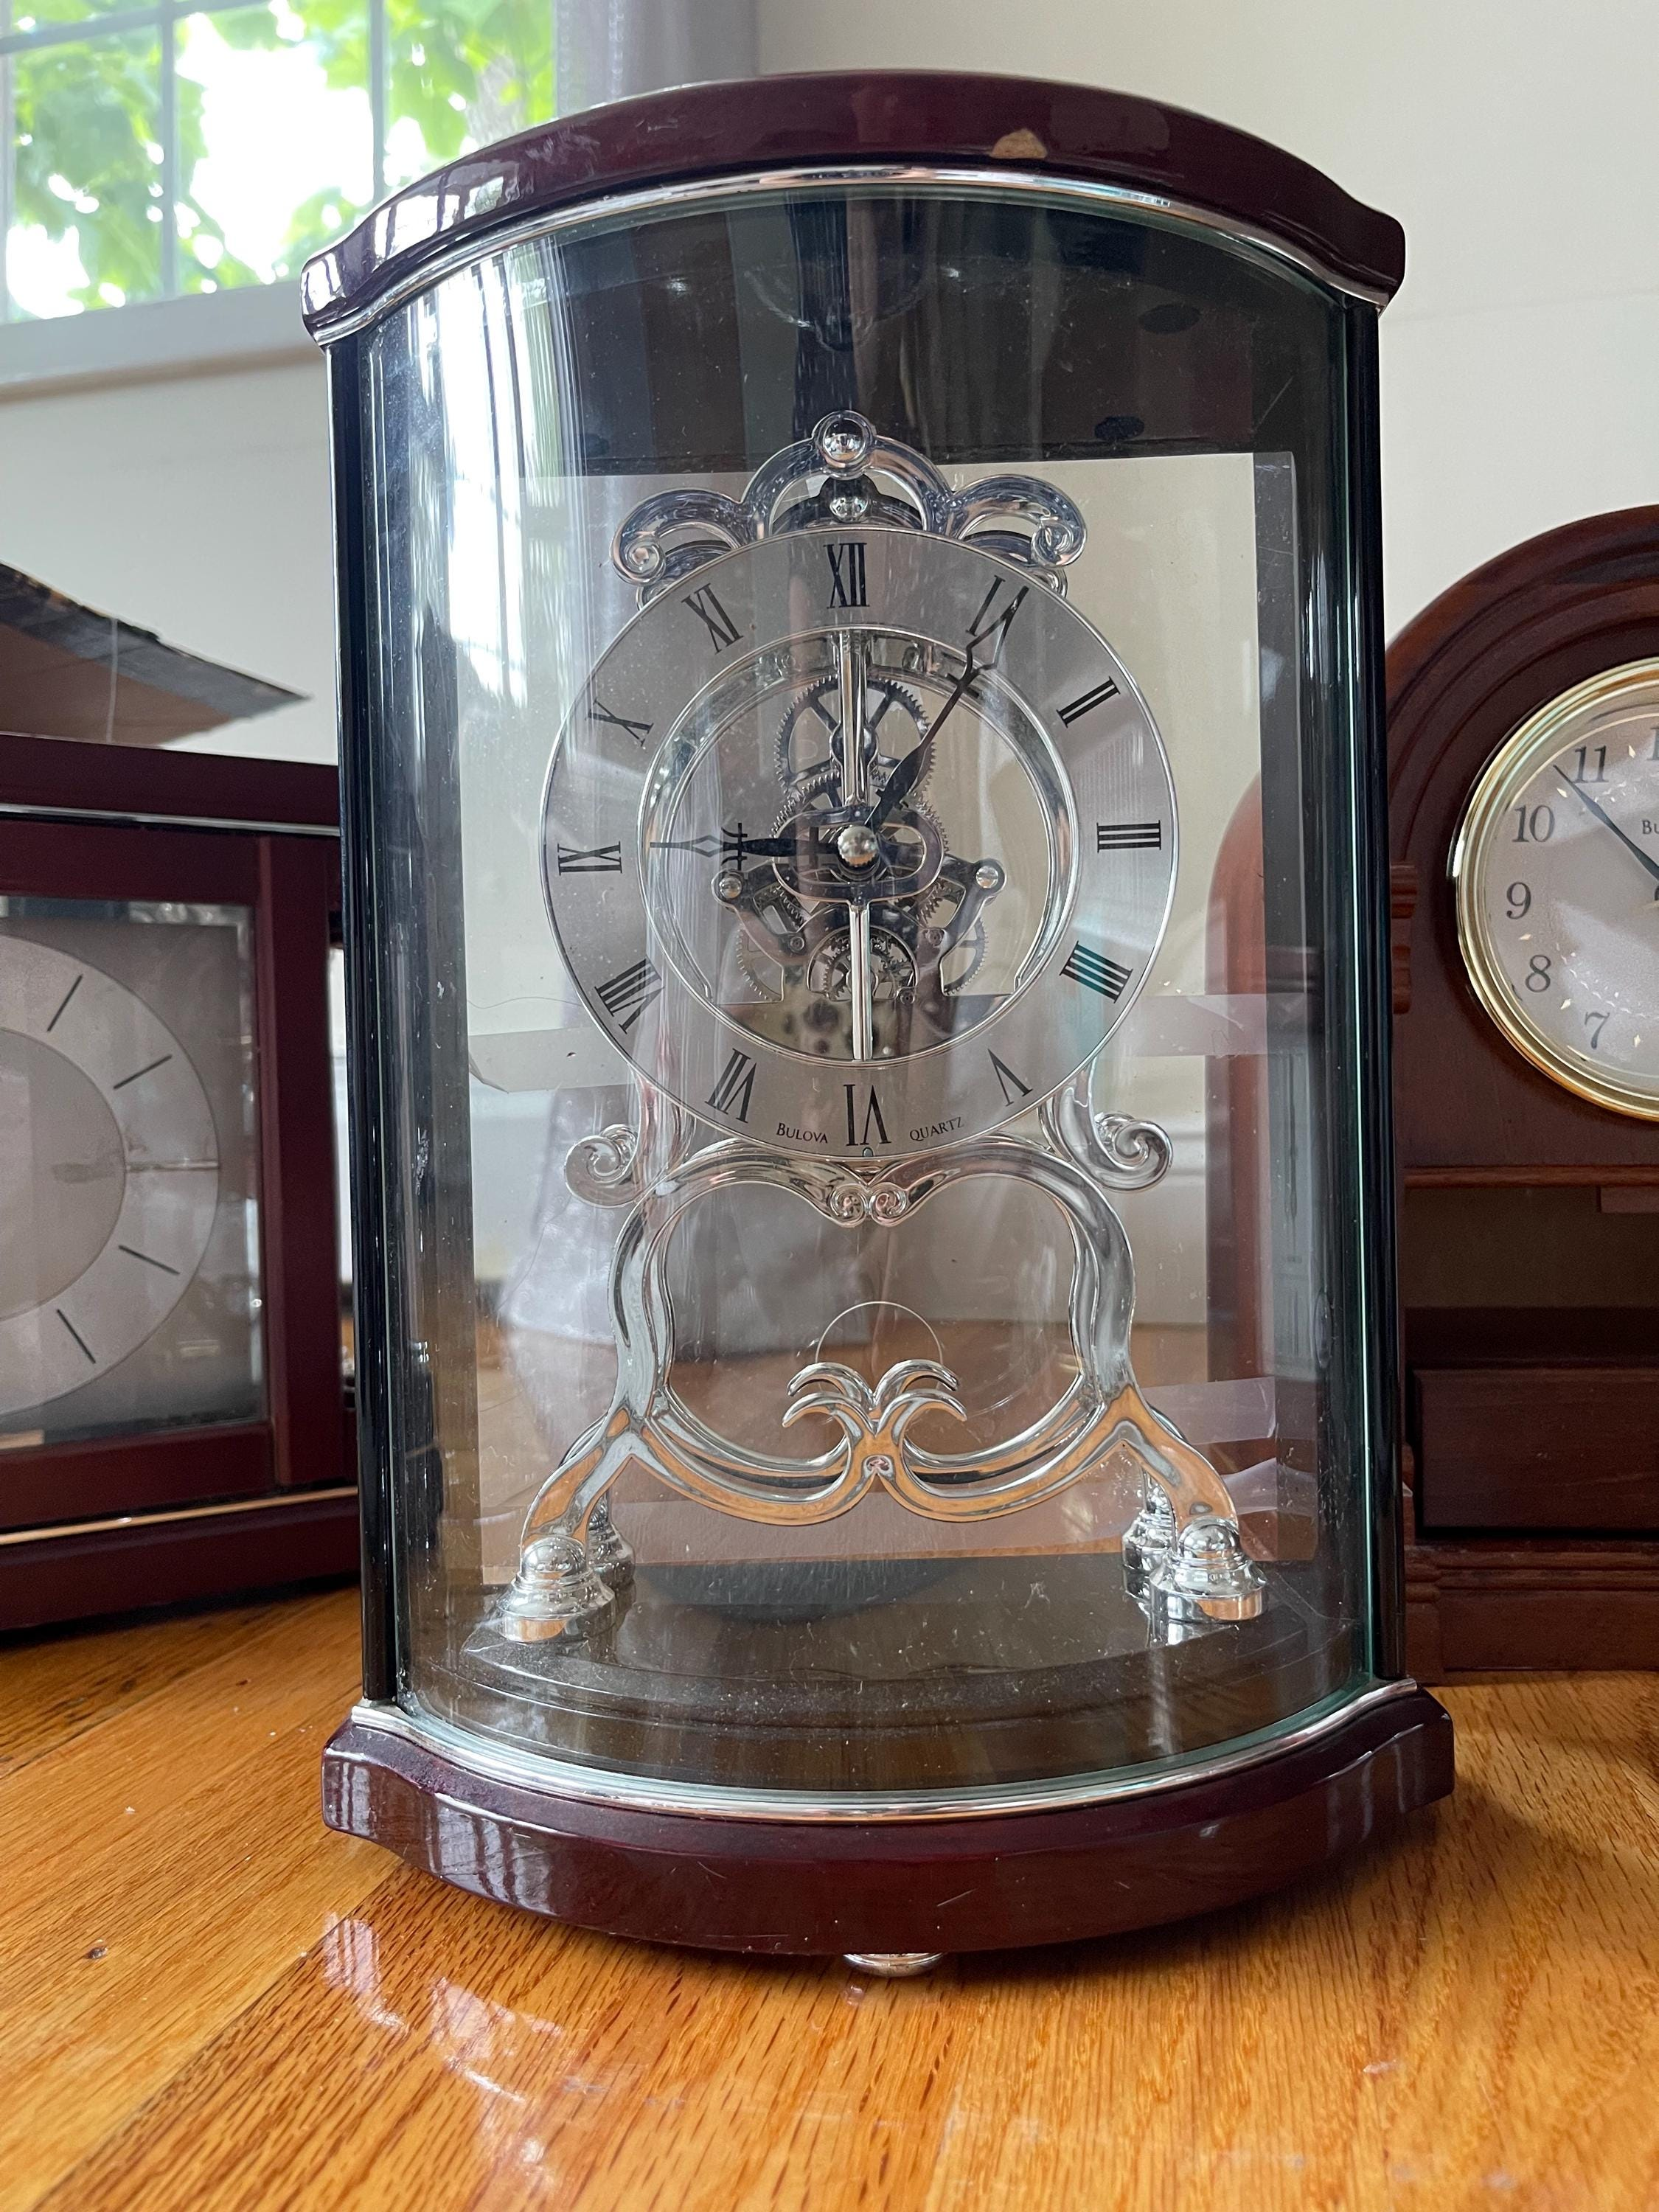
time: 8:59
